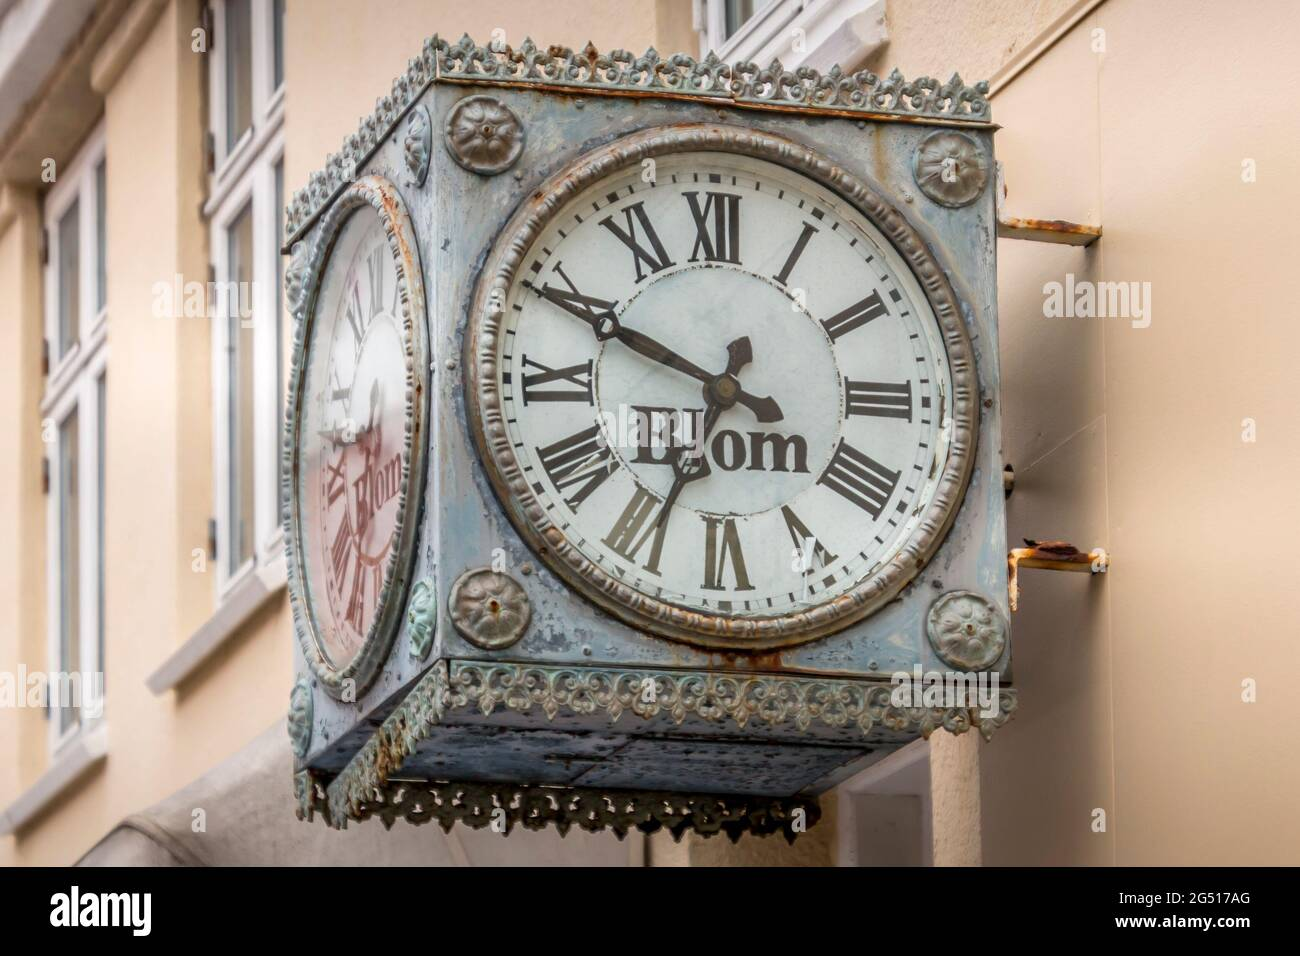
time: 6:49
